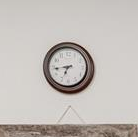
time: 6:43
